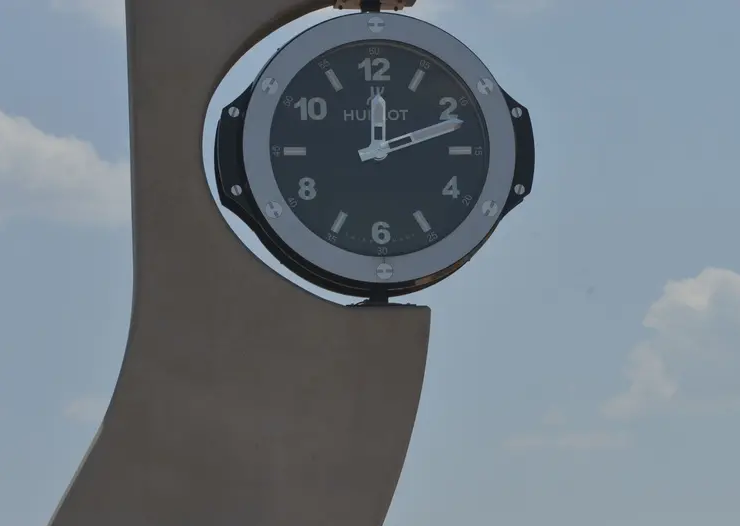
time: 12:11
